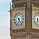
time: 6:23
